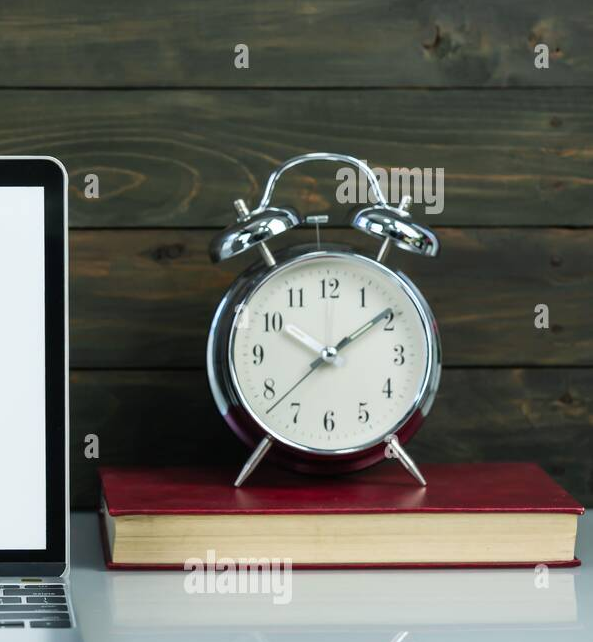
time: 10:09
